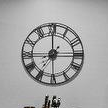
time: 7:15
